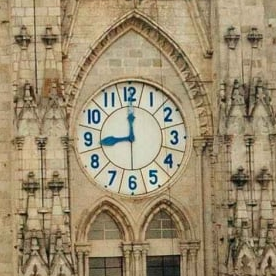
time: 9:00
